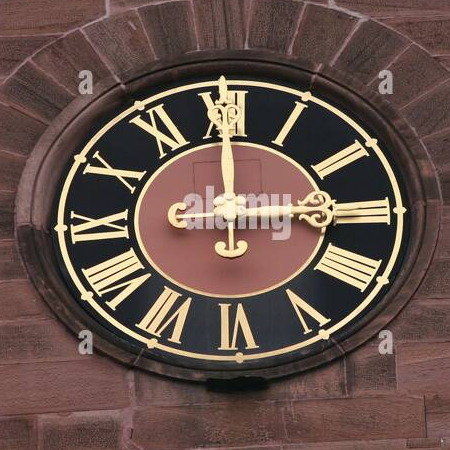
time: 3:00
